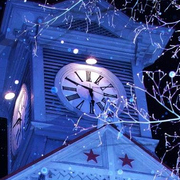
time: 5:49
